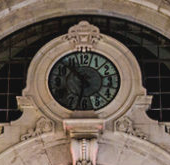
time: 10:32
